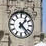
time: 1:22
